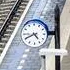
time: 4:40
